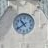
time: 10:39
